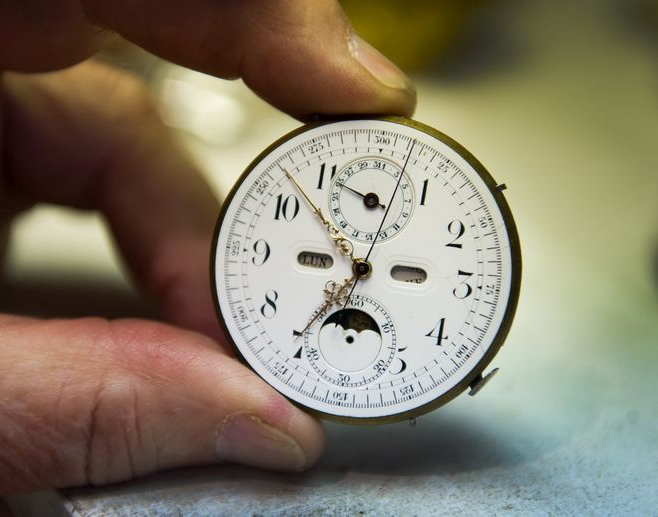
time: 10:36
